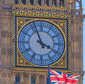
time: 3:56
